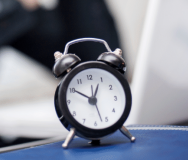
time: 12:50
